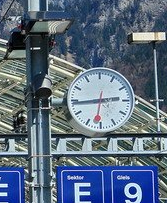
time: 2:44
